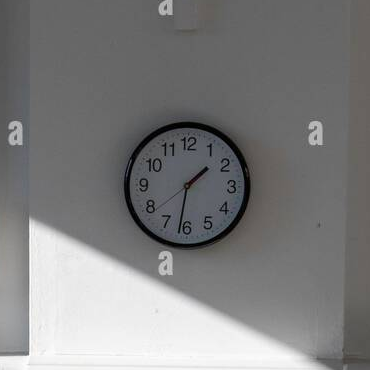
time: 1:31
